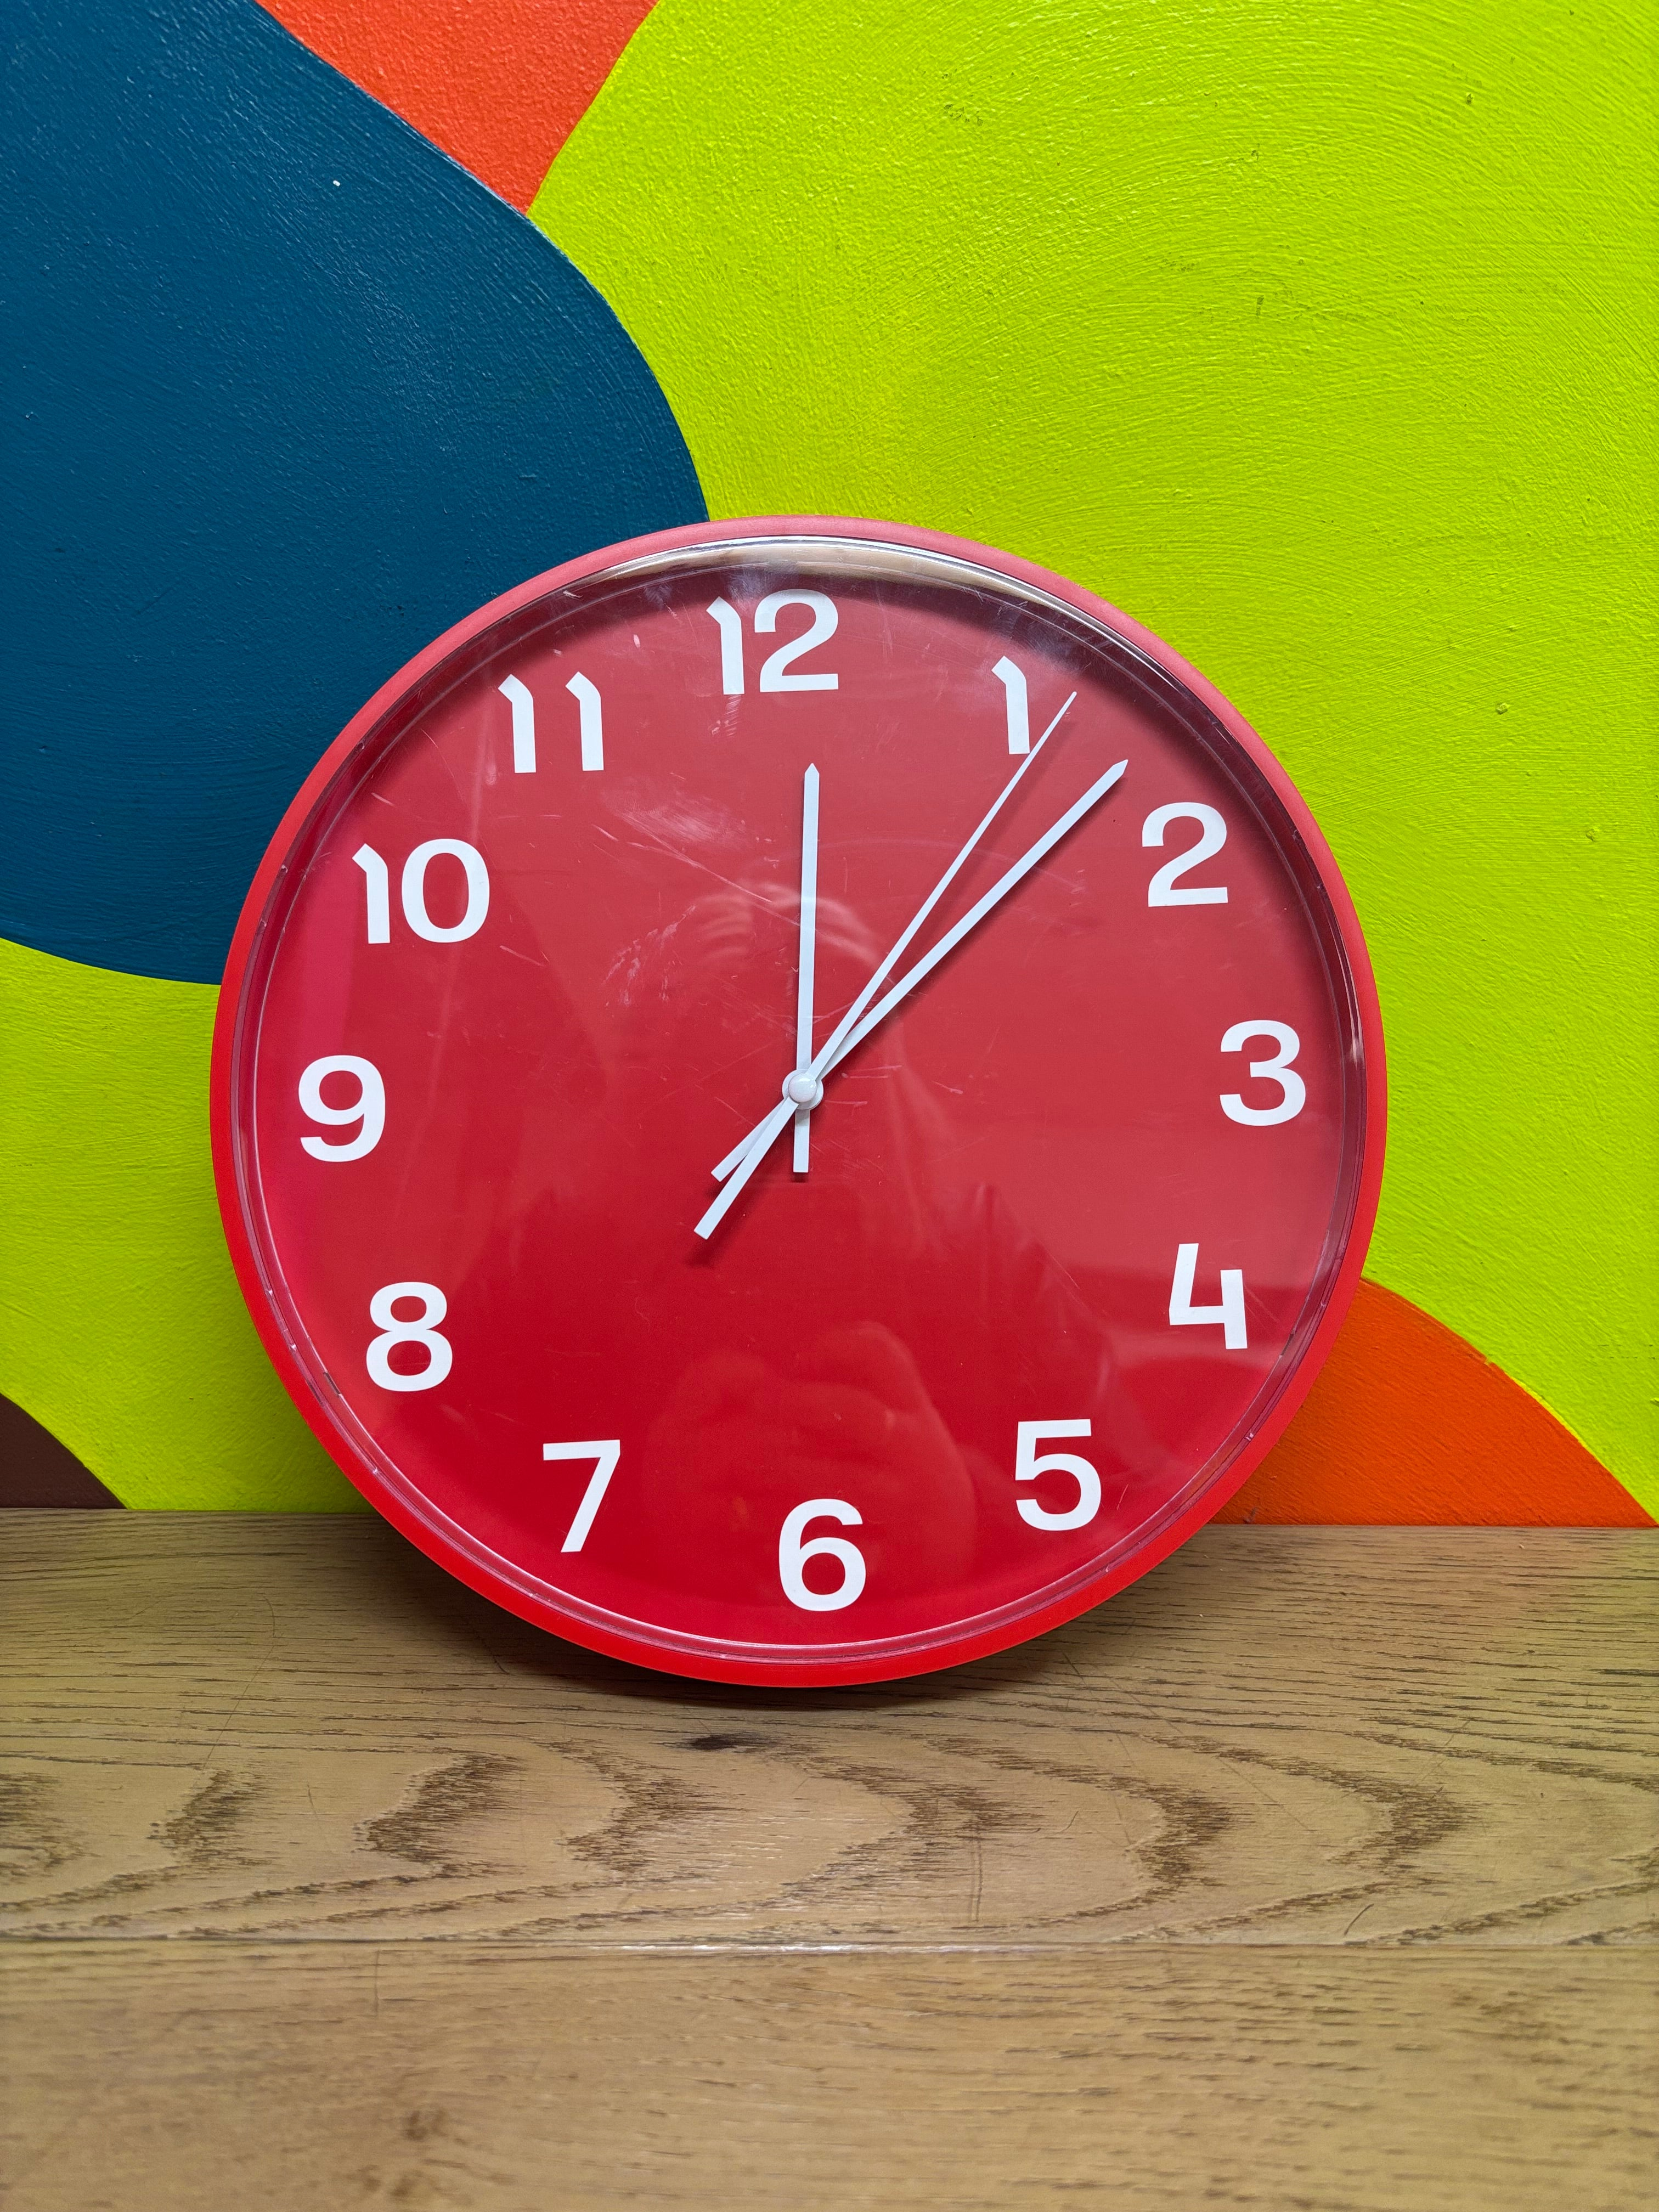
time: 12:07
